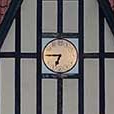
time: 6:45
